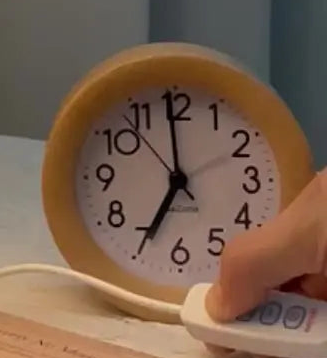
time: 6:59
